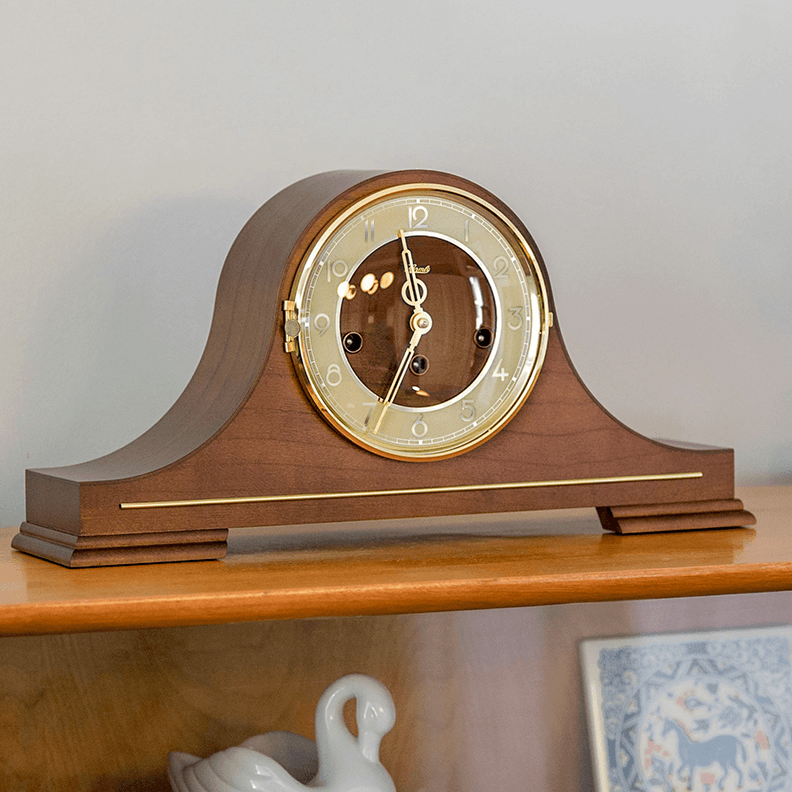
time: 11:33
